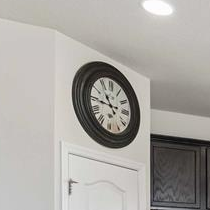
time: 10:45
